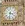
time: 3:32
